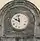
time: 9:57
